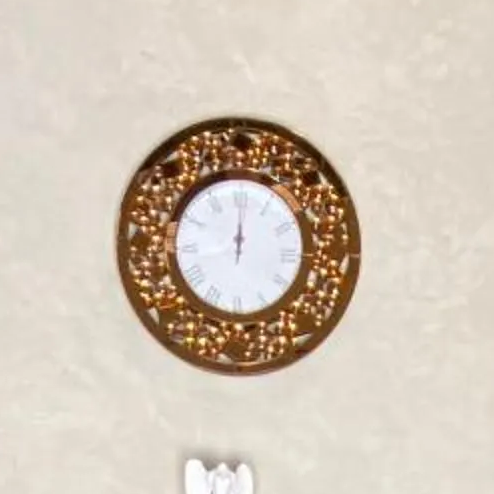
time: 12:00
